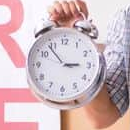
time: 2:53
